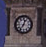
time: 12:36
